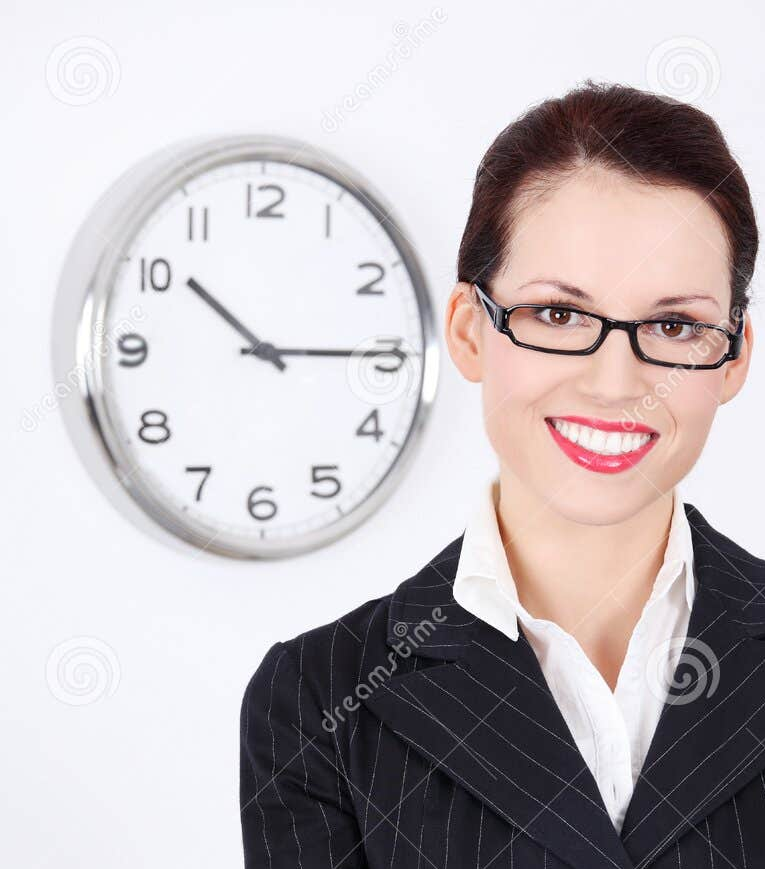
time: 10:14
